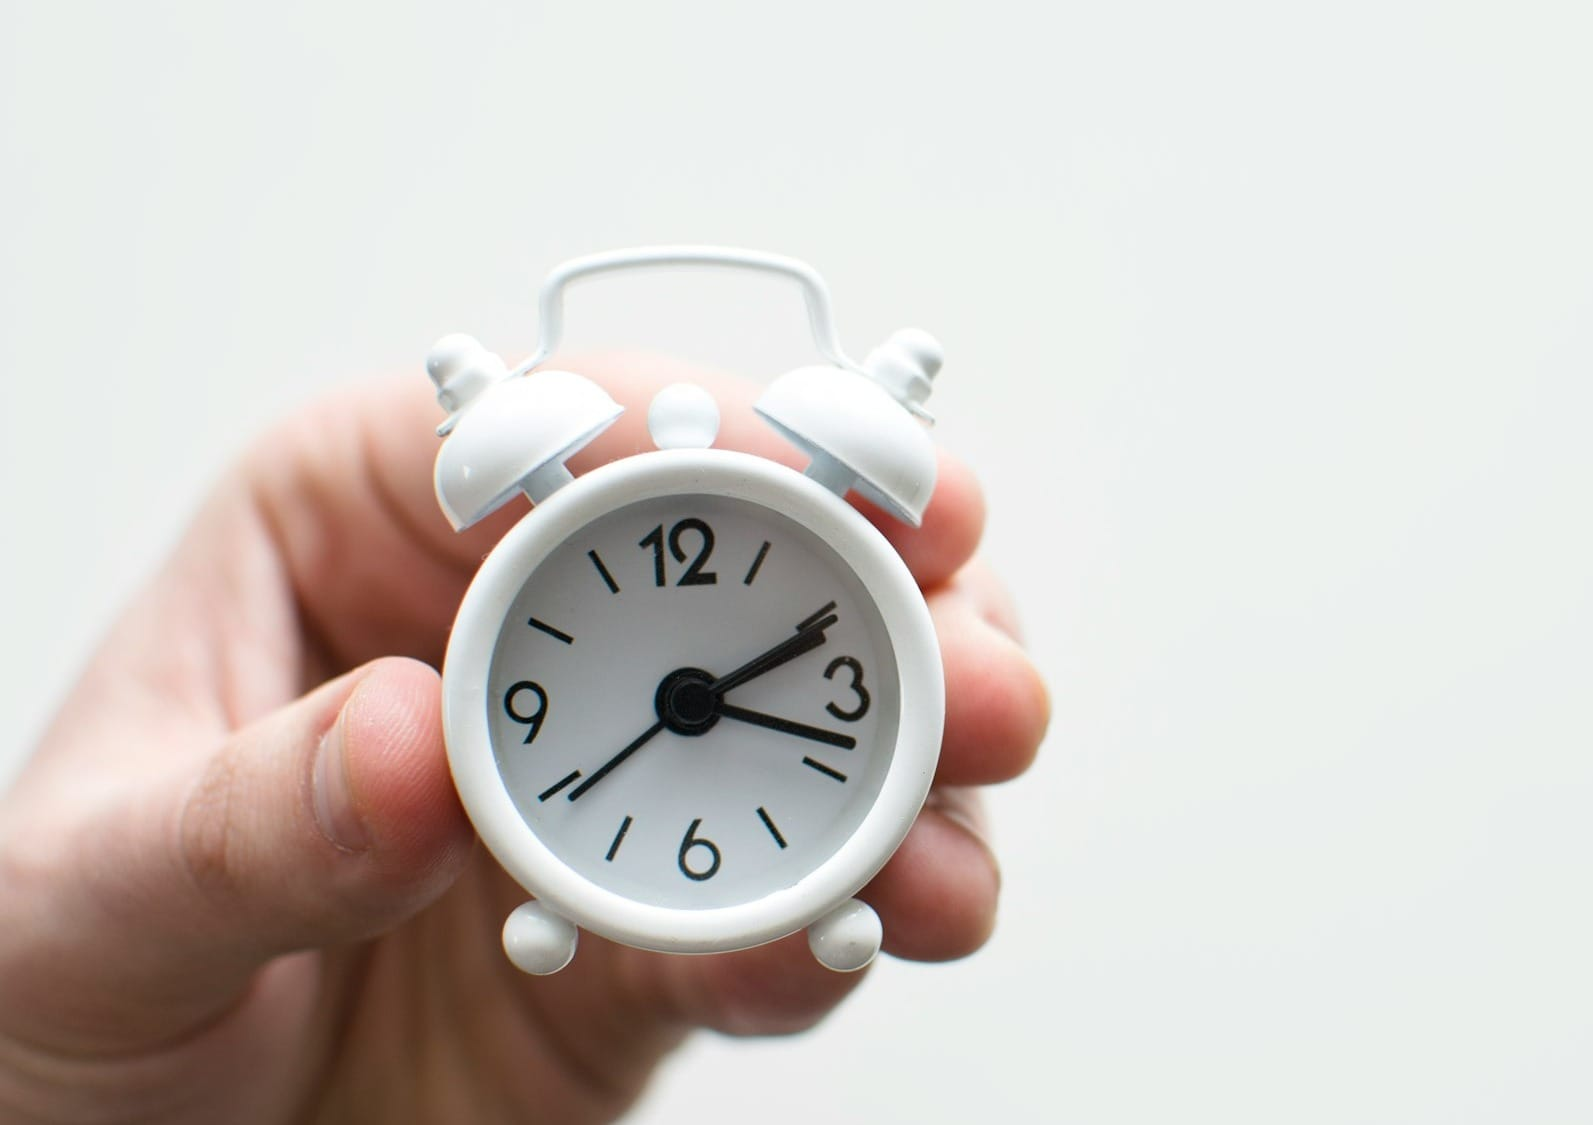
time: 2:18
